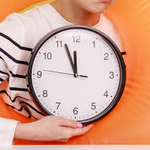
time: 11:56
